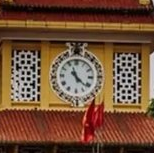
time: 11:21
